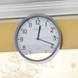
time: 12:18
